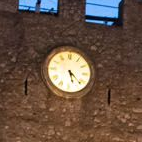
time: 5:22
